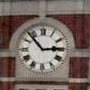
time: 2:53
